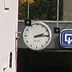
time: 2:14
